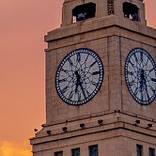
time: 6:26
